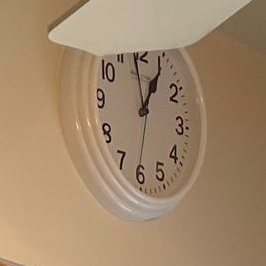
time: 12:58
